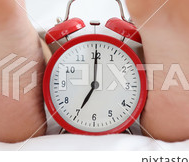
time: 7:00
